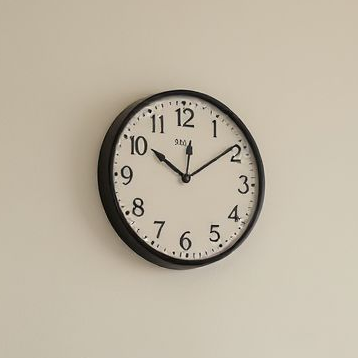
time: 10:09
